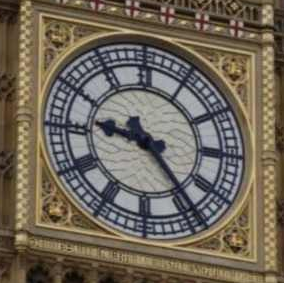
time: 9:23
